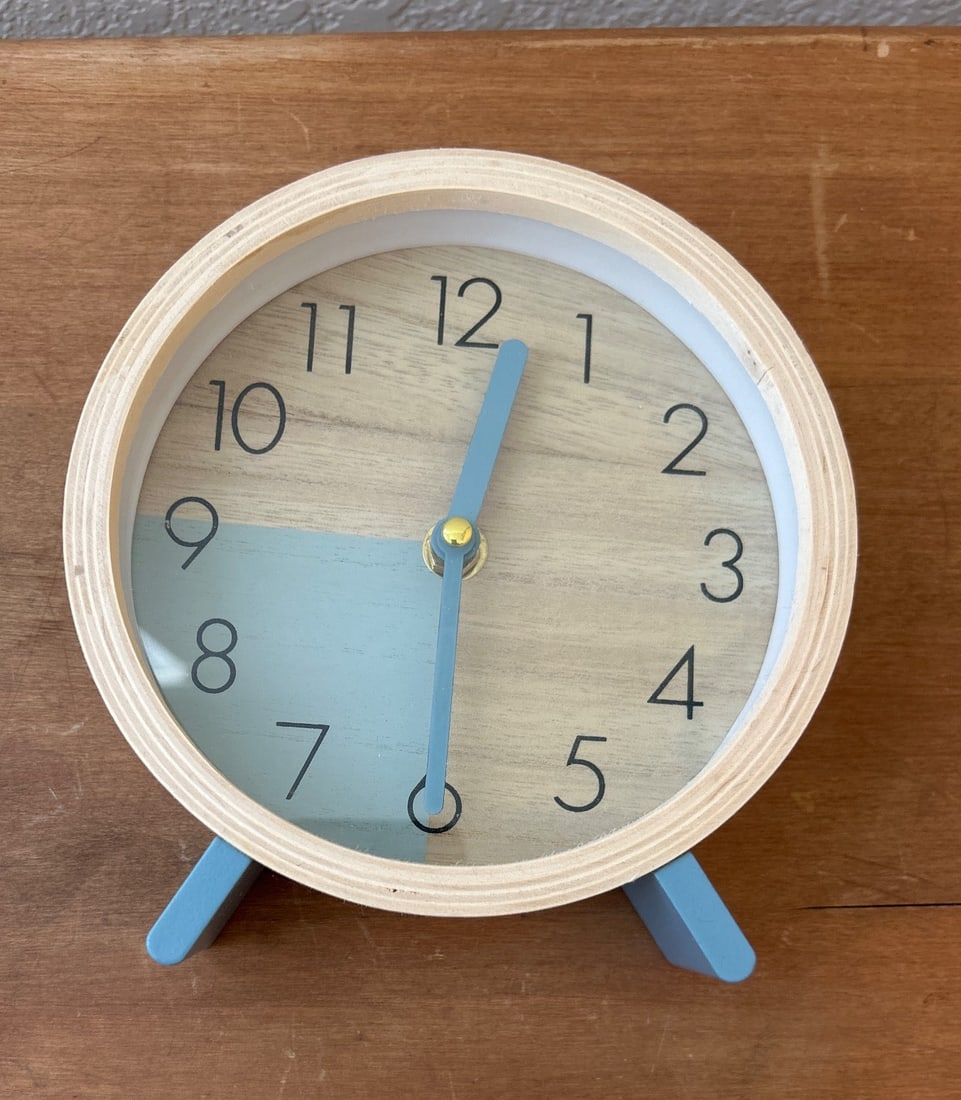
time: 12:30
